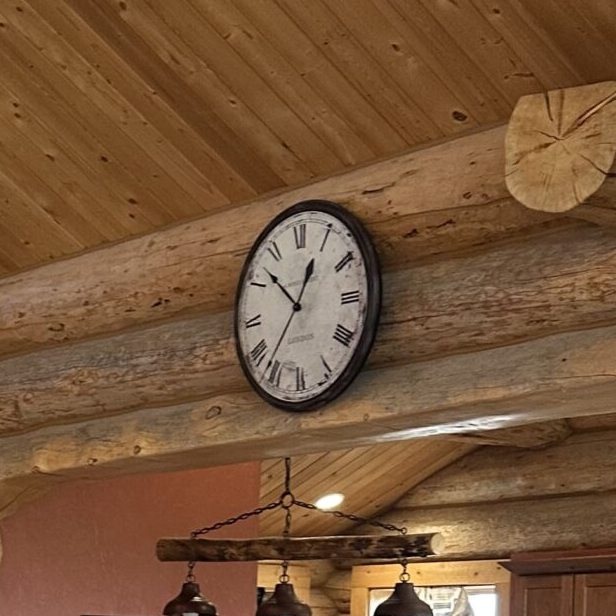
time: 12:52
